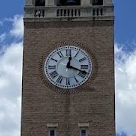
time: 12:18
